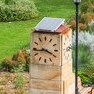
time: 3:43
